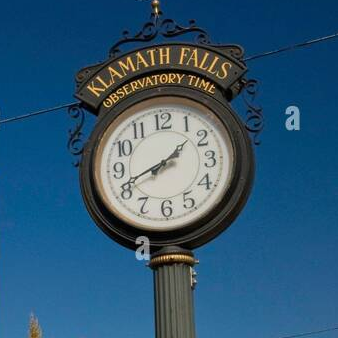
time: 1:41
